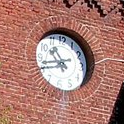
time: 10:42
